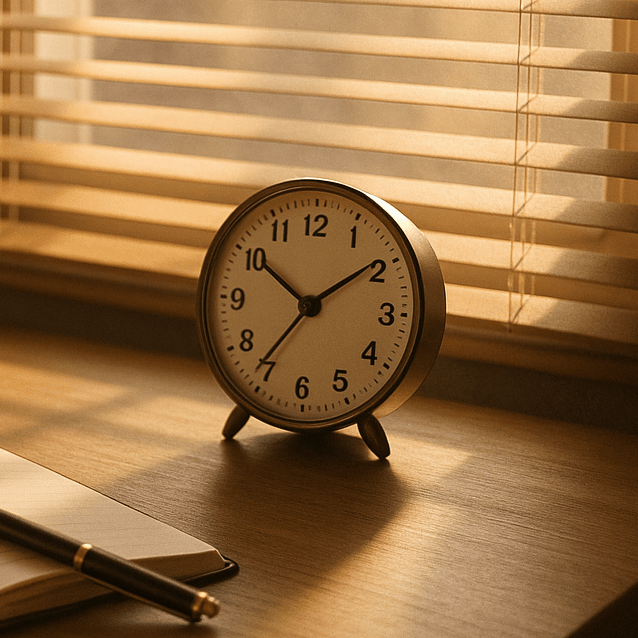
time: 10:09
